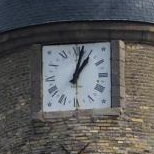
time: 1:02
